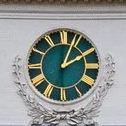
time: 2:03
